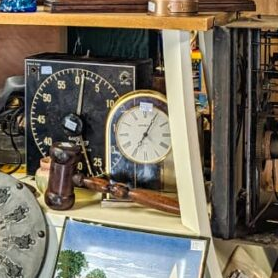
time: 7:06
